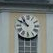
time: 10:50
